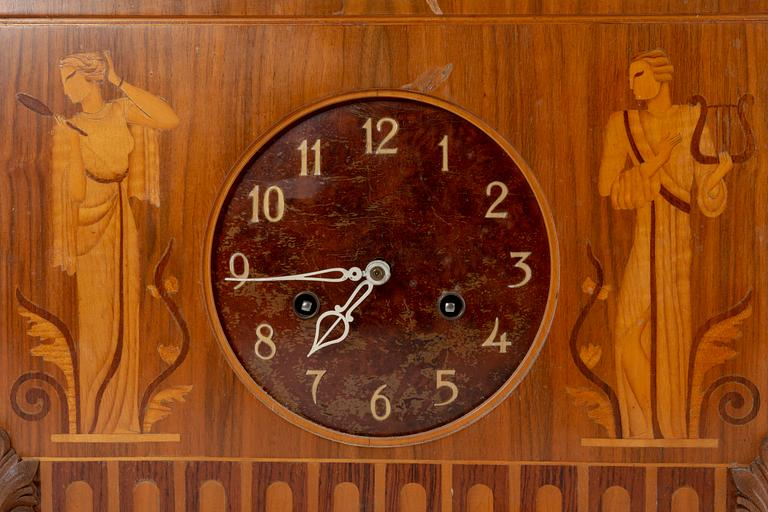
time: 7:44
